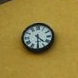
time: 4:29
